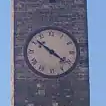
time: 10:21
